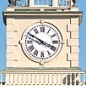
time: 3:50
